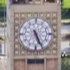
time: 5:26
